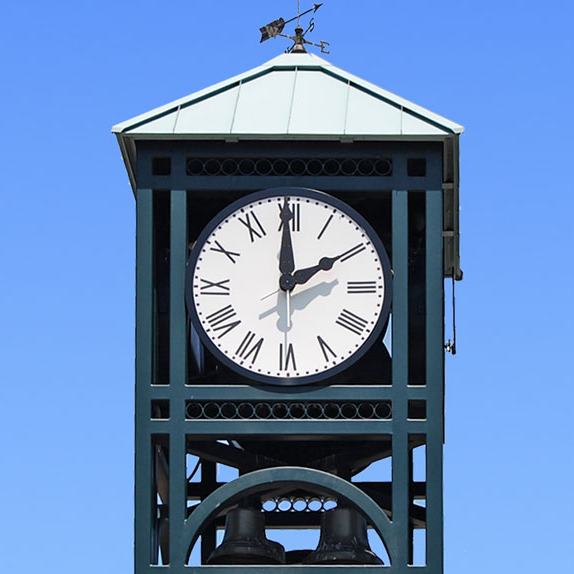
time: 1:59
